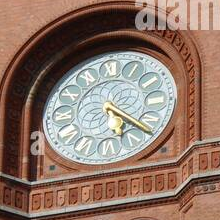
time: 5:21
